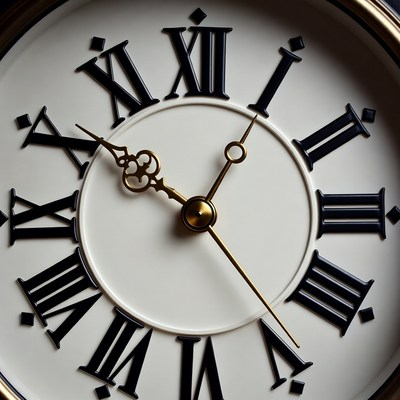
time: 10:05
